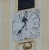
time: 11:37
